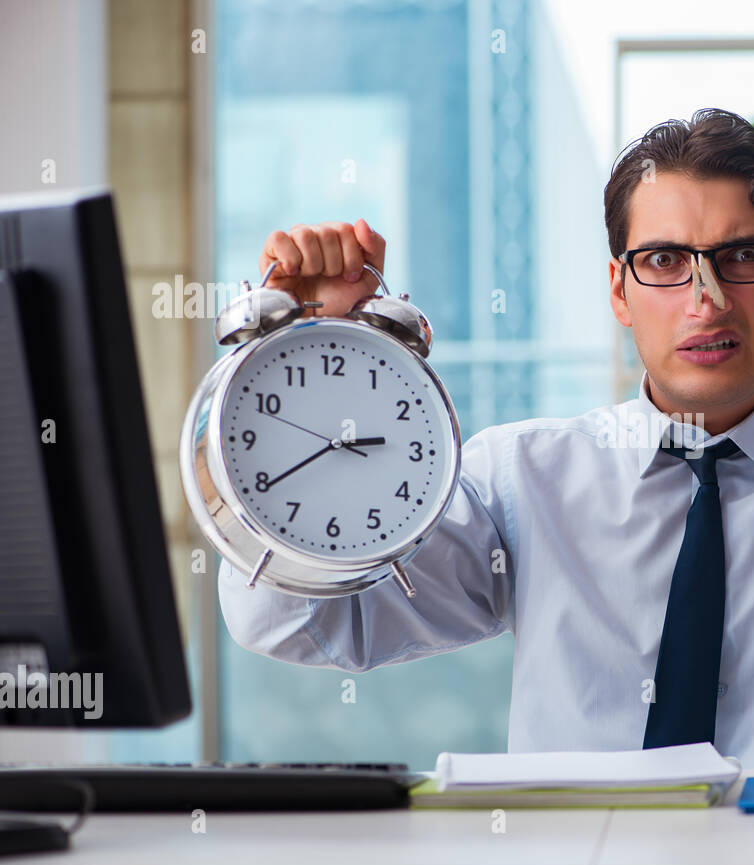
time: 2:39
